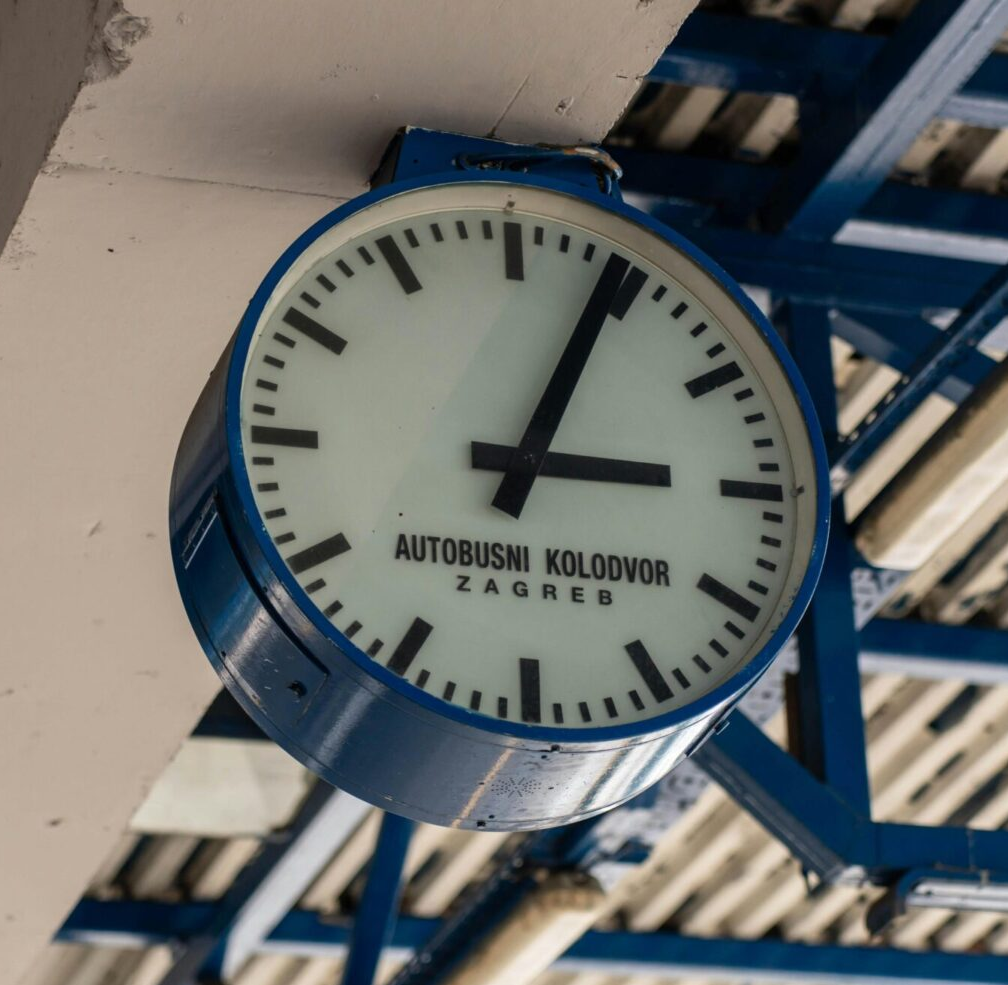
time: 3:04
